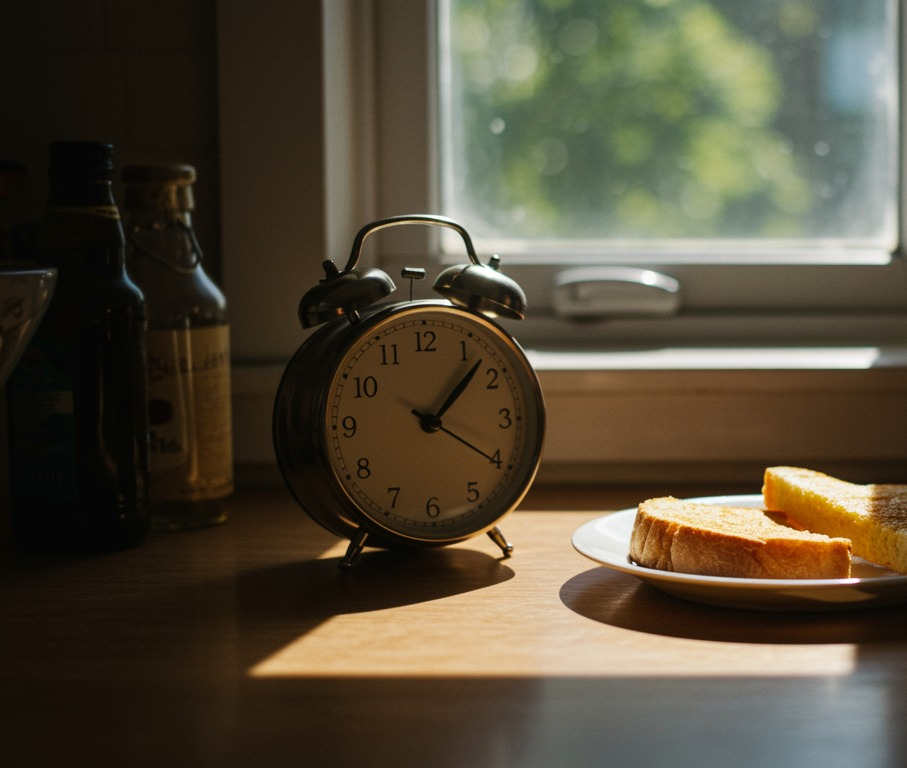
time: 1:07
